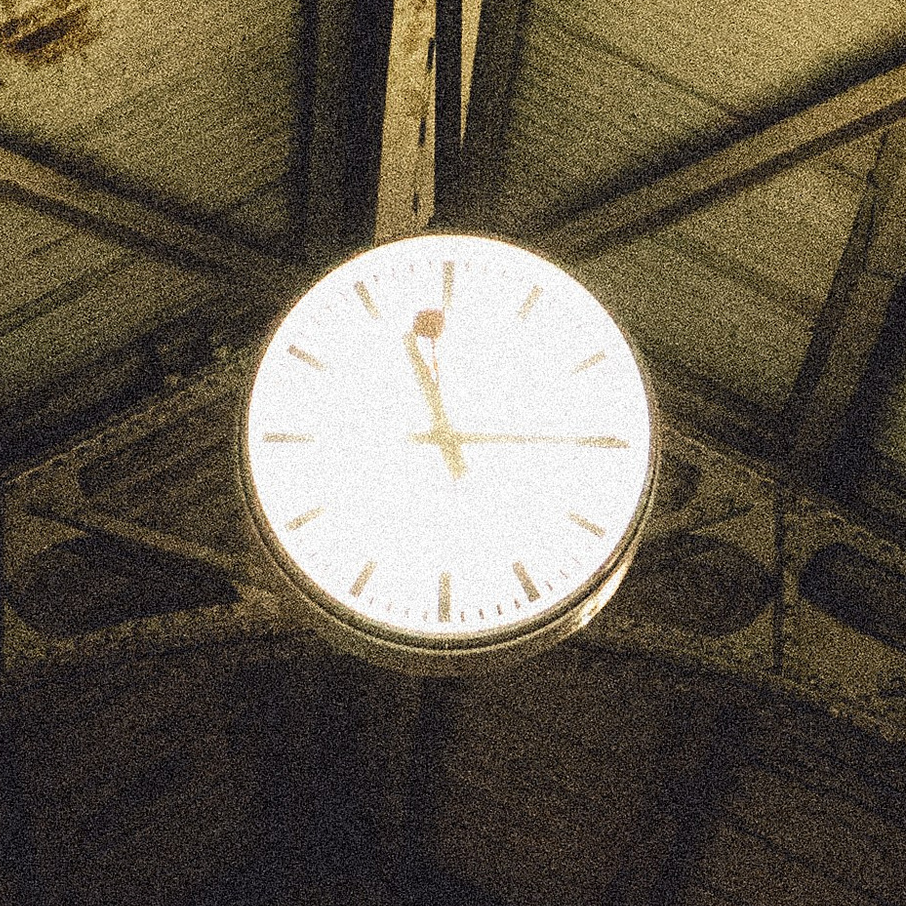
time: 11:14
